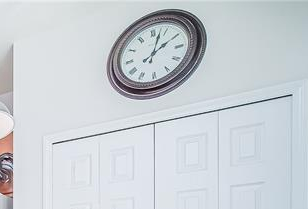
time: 2:02
